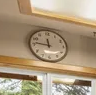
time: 11:46
